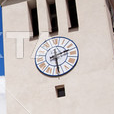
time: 2:29
